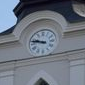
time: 9:47
